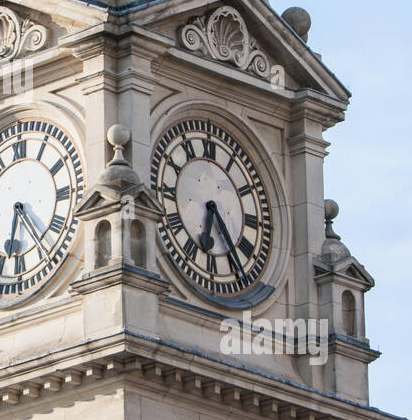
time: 6:23
